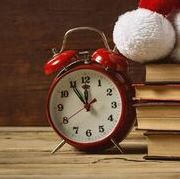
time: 11:54
